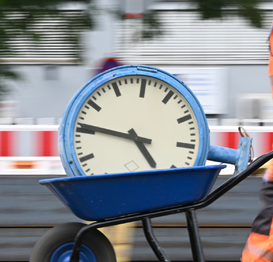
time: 4:46
